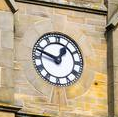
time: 12:48
